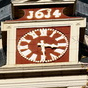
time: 3:29
